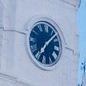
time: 7:07
